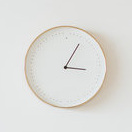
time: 3:04
